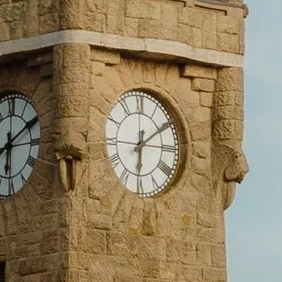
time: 6:09
